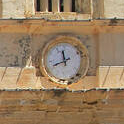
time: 11:41
